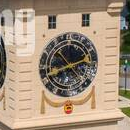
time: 10:41
